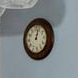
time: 1:02
